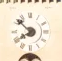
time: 7:52
